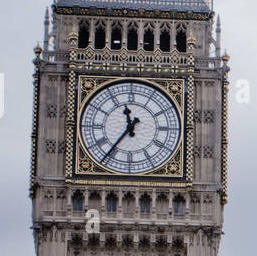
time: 11:36
